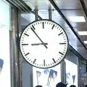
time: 8:53
